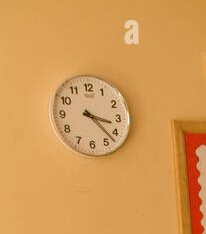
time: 3:22
